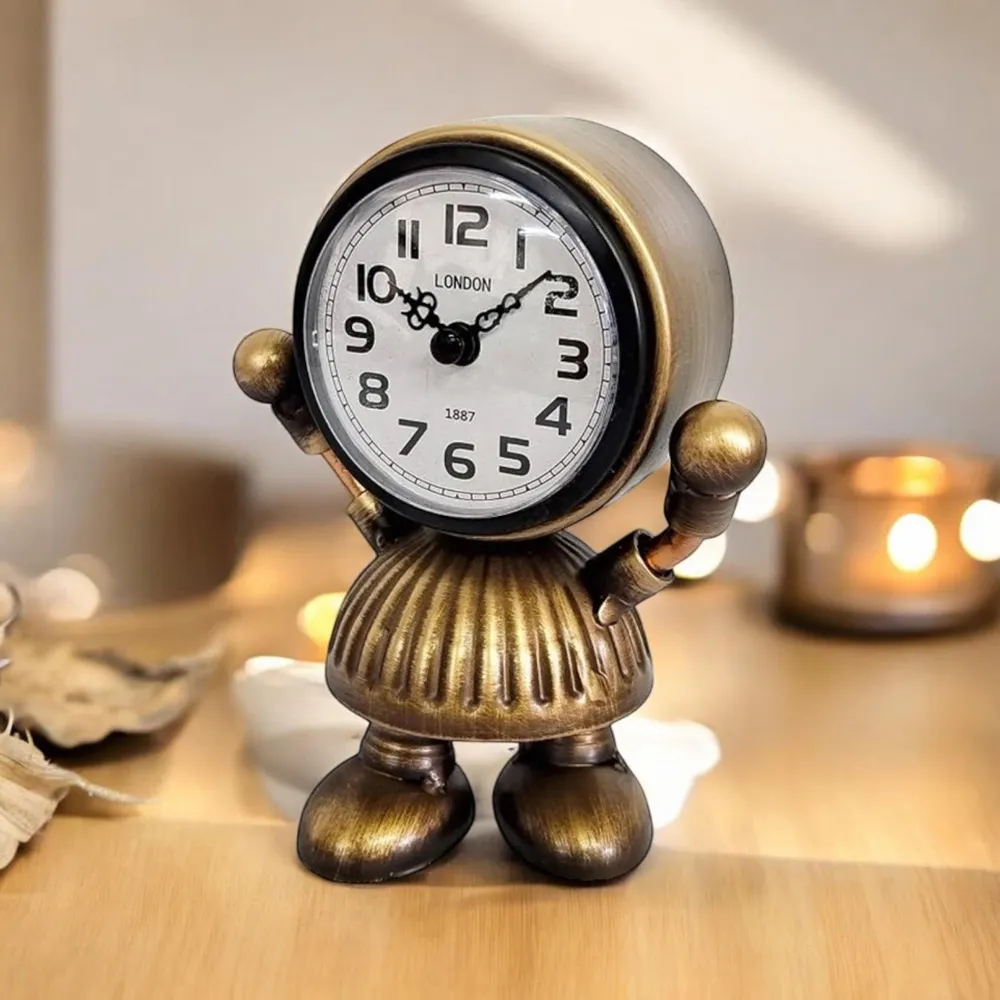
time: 10:08
